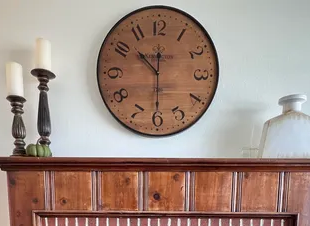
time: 10:30
